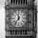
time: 11:36
